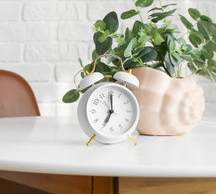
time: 7:00
